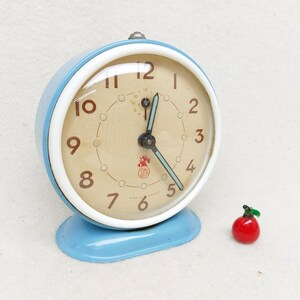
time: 12:23
